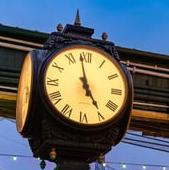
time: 4:58
